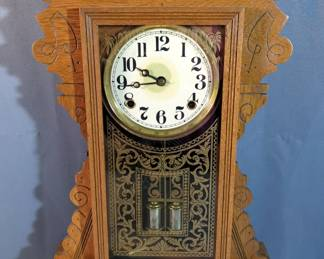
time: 9:43
